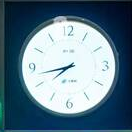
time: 7:42
